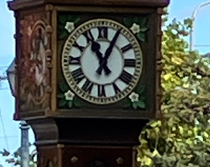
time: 11:04
